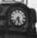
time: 5:36
